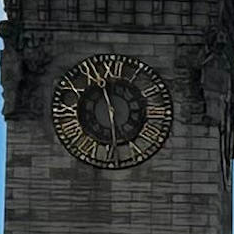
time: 11:29
